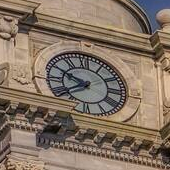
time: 7:49
